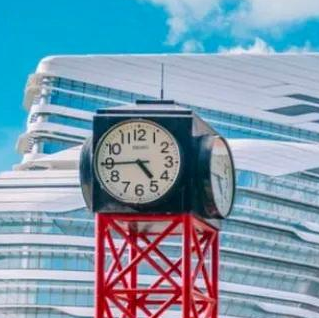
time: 4:44
